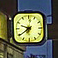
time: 9:39
